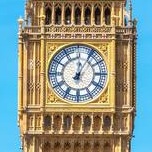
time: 12:05
